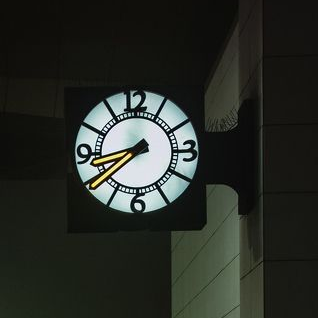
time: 8:38
